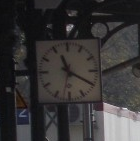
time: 11:19
